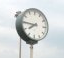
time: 7:45
